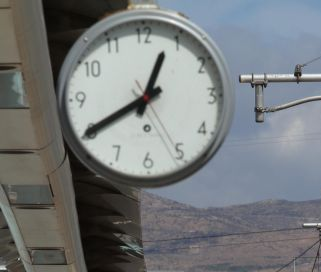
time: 12:40
